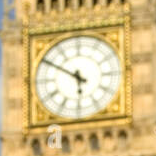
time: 5:50
